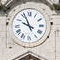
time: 9:56
